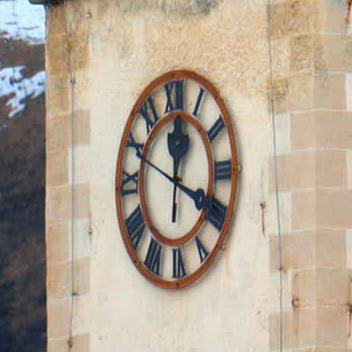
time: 12:19
